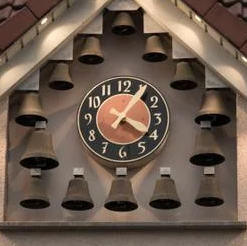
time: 4:05
